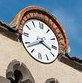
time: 3:38
